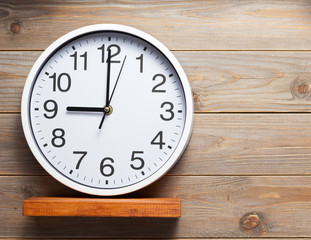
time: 9:00
